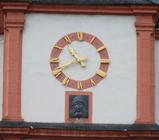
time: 10:41
